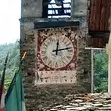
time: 12:13
